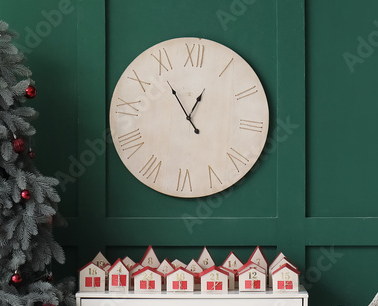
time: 12:53
